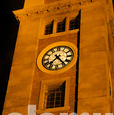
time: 7:23
